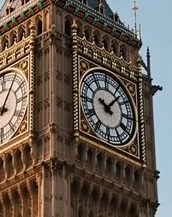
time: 10:07
